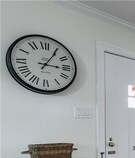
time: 3:05
